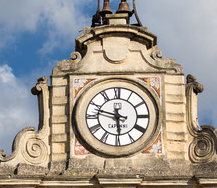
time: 5:47
